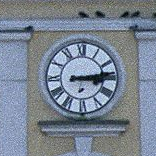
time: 3:13
